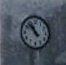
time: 10:52
